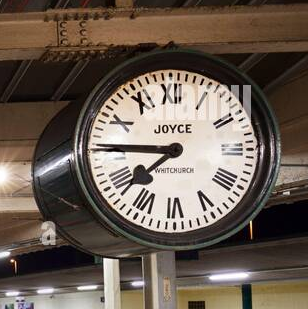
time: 7:45
